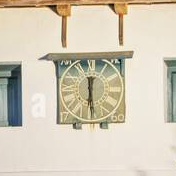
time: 6:29
